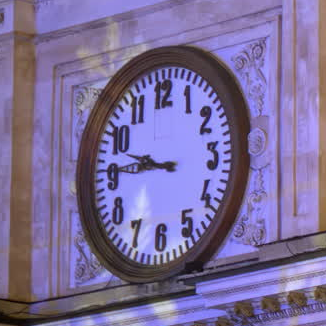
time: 9:45
